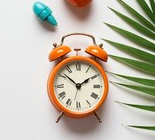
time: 1:51
